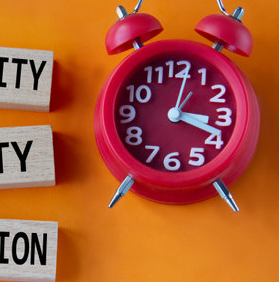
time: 3:18
